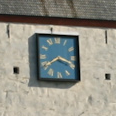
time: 3:39
